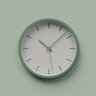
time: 10:07
